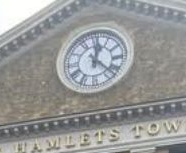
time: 12:22
